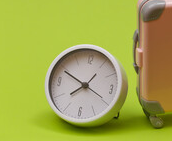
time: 7:49
